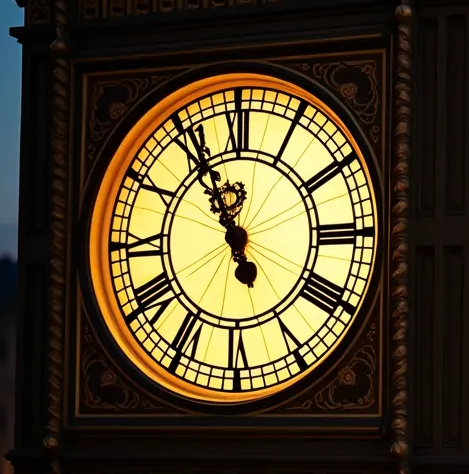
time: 11:55
